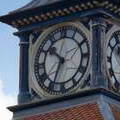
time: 10:34
